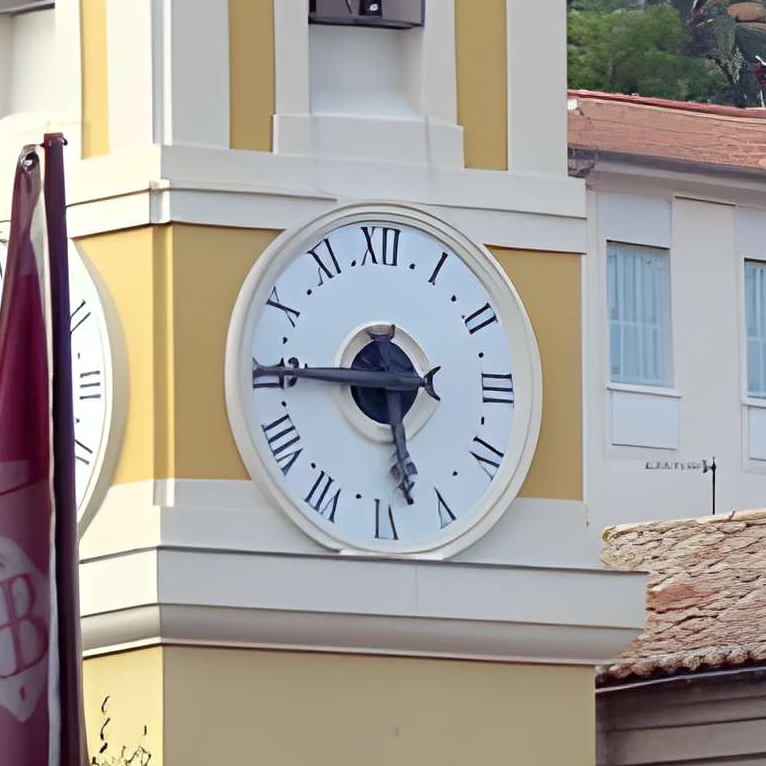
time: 5:45
